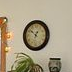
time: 12:51
